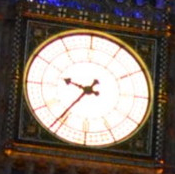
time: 9:36
